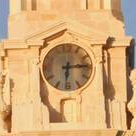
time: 6:14
